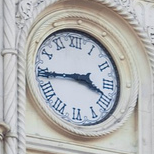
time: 3:44
